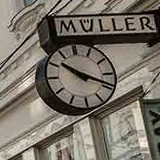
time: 10:19
